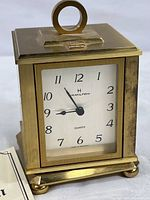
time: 8:54
